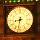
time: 8:32
